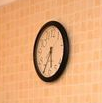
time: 5:34
